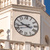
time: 9:42
